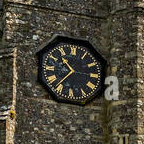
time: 10:36
